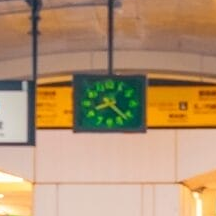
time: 8:22
